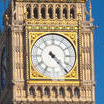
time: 4:23
